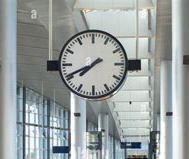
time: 7:40
